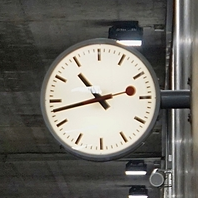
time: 10:42
